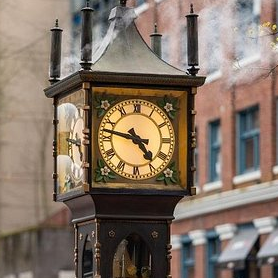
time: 4:47
